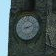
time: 8:11
